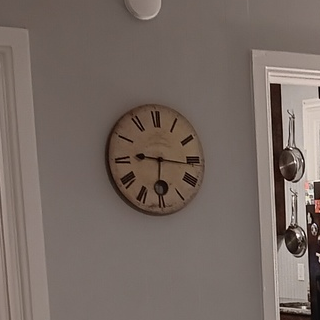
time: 9:16
